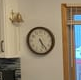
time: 5:24
